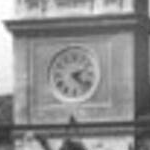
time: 2:22
